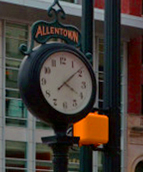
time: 4:08
